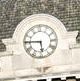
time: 5:45
